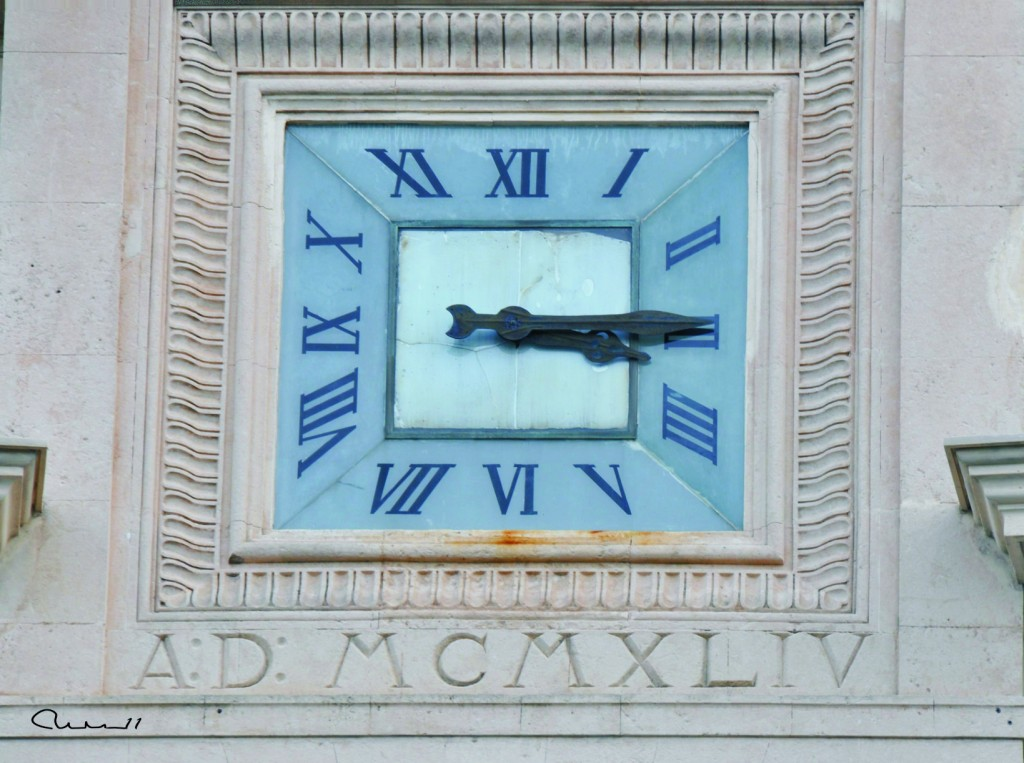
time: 3:14
